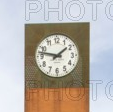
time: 1:47
